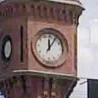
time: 12:05
